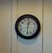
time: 12:29
